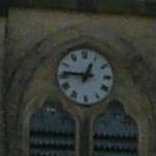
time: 12:46
